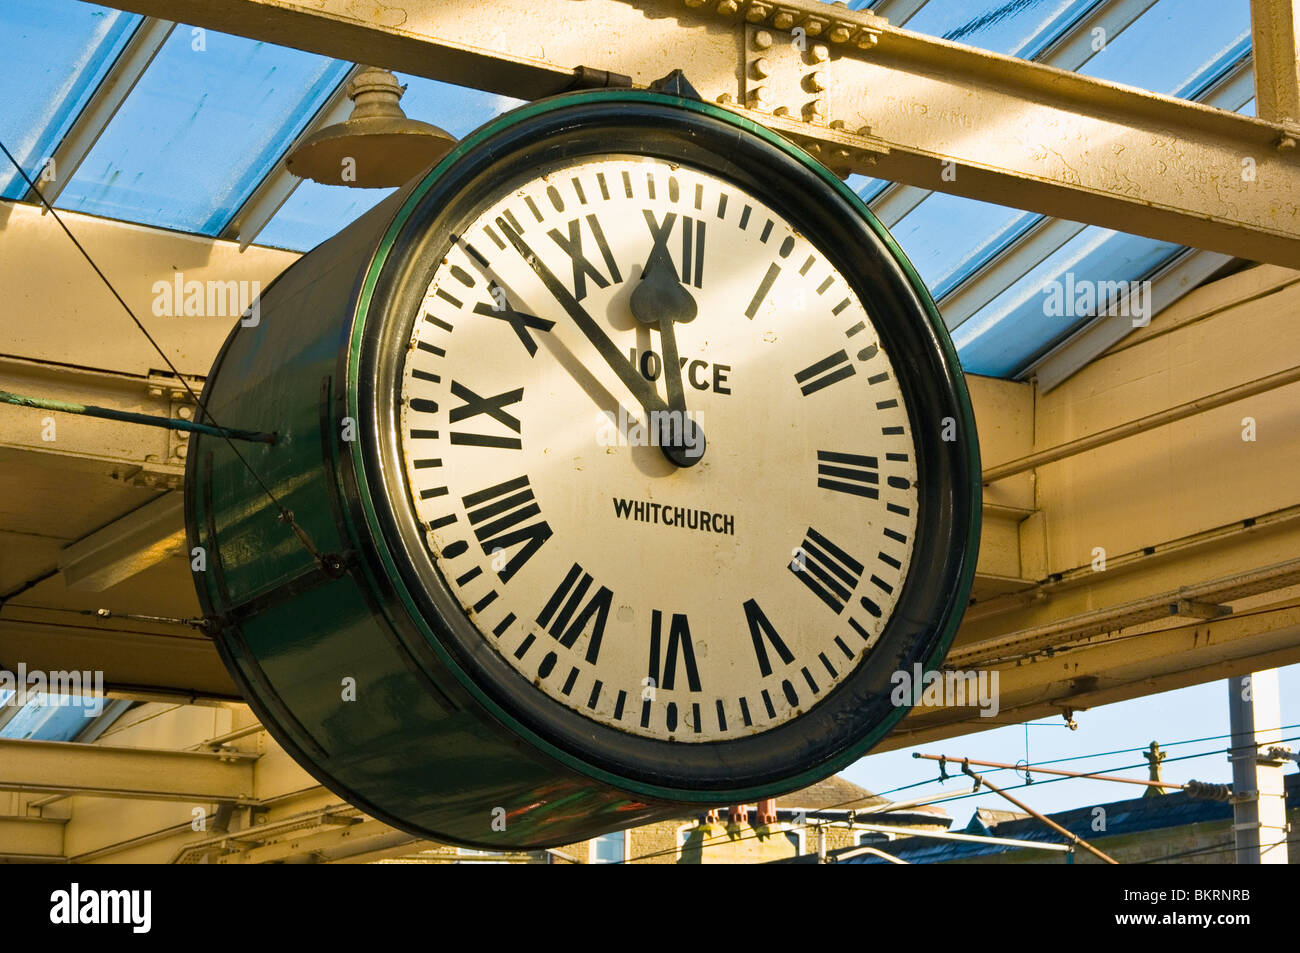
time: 11:52
